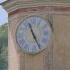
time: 11:25
